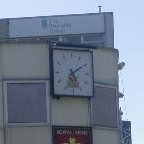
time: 5:09
